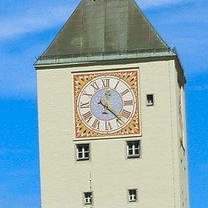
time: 12:22
